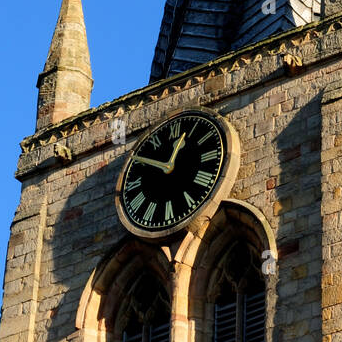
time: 12:50
